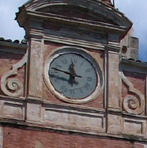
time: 11:47
